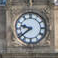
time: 9:38
